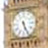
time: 5:26
